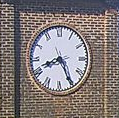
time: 8:25
